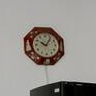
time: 10:06
